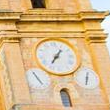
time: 7:06
